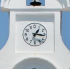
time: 1:16
